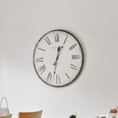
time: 12:32
